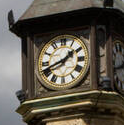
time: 1:41
